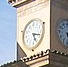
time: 5:18
